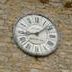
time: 1:43
